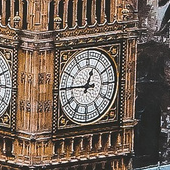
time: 12:45
